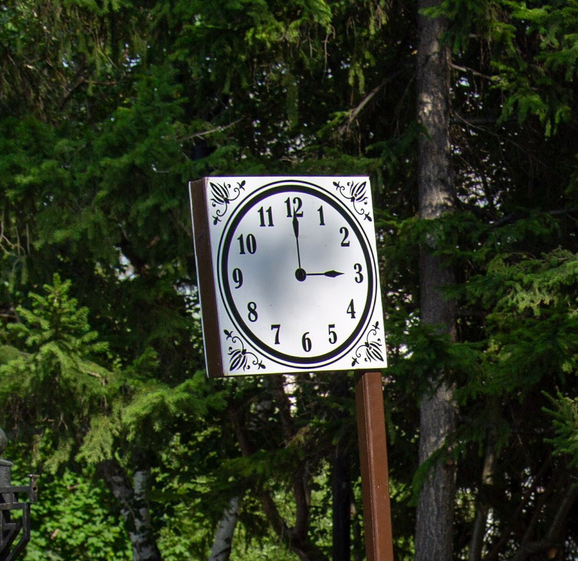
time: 3:00
